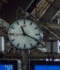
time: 11:19
